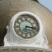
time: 7:16
